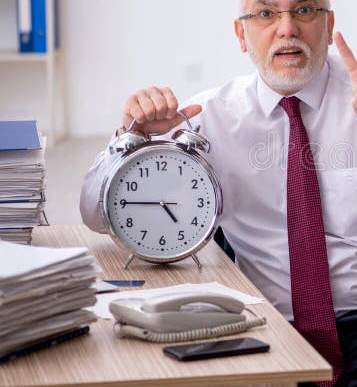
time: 4:45
